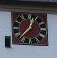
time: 12:37
